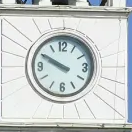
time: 9:49
